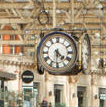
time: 4:30
